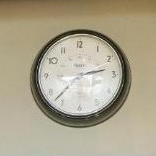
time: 2:37
